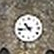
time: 10:43
